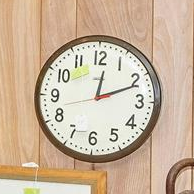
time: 12:11
